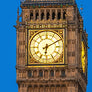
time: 6:10
